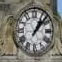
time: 1:07
